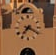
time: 7:19
